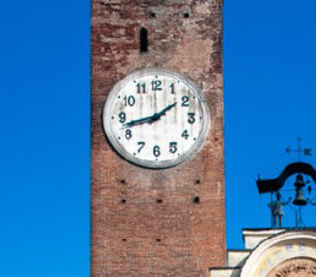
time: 1:42
